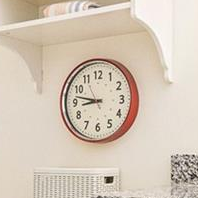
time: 8:46
